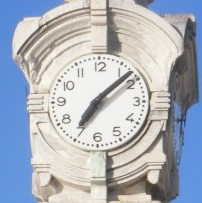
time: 7:08
